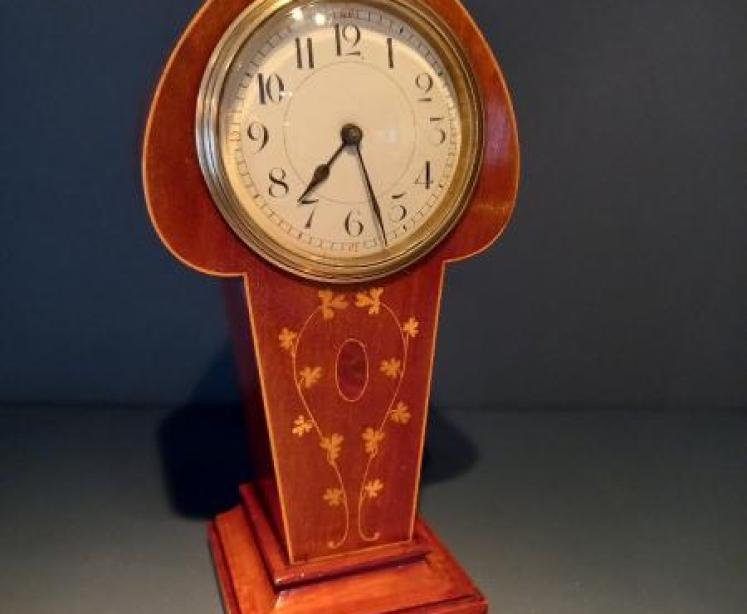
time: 7:27
